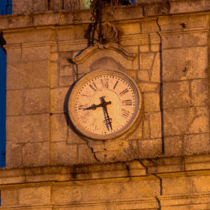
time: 8:27
